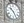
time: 10:24
